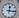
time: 12:16
